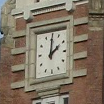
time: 2:00
